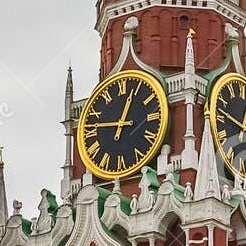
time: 12:46
